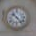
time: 10:23
